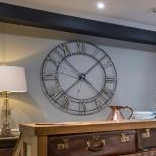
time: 1:37
